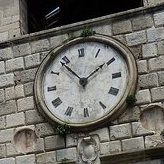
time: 1:53
